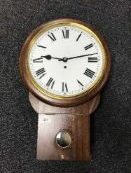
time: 9:12
